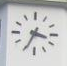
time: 3:34
